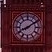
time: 8:09
